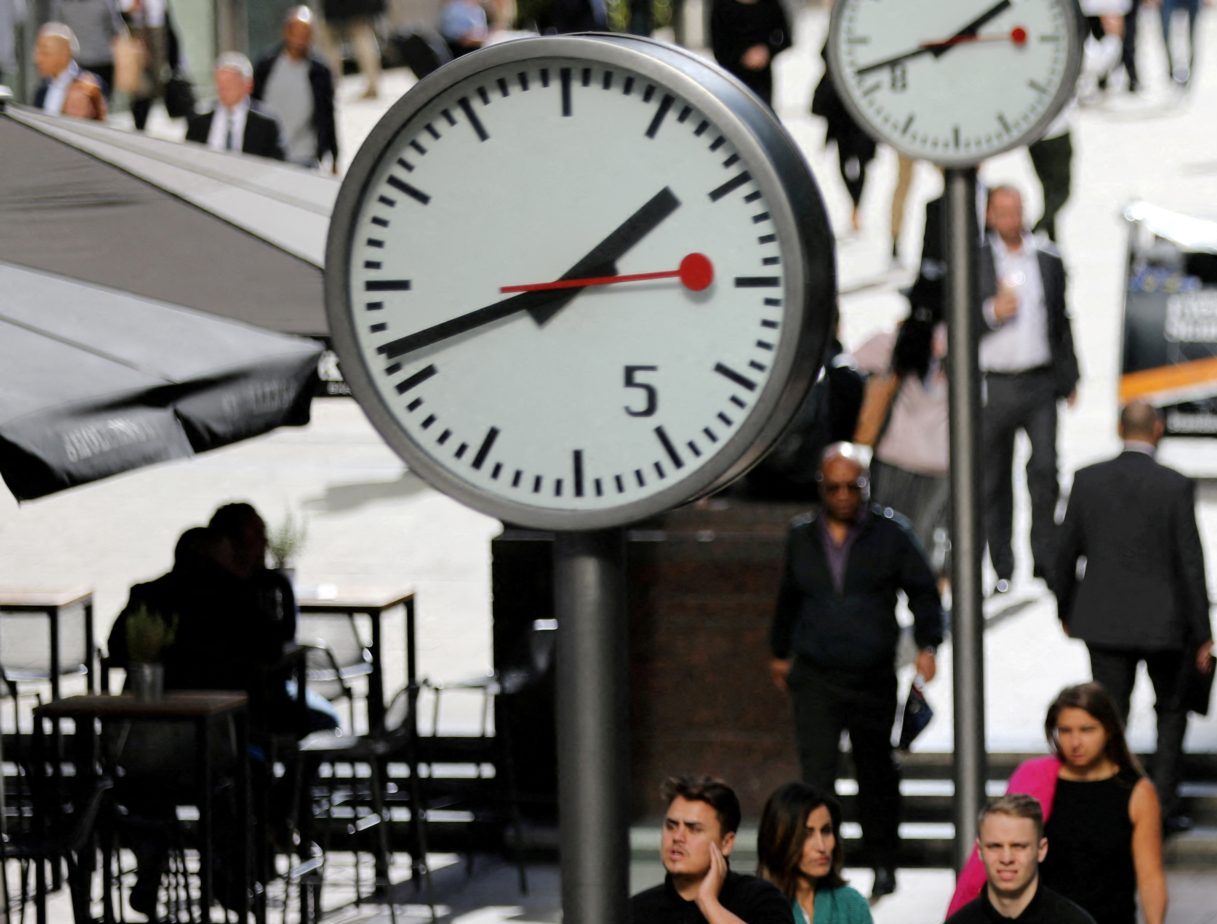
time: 1:42
